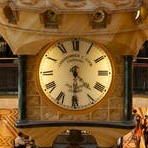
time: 4:30
